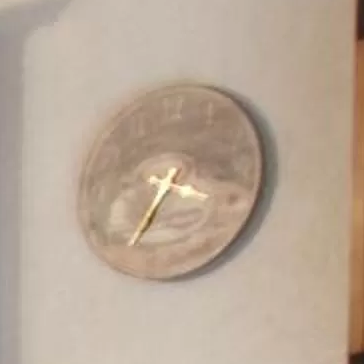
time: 3:34
